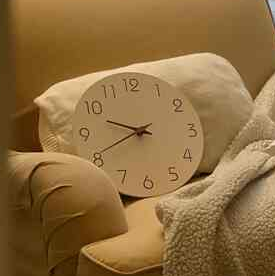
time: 9:40
